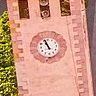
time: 10:56
